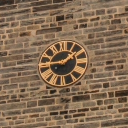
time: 1:45
